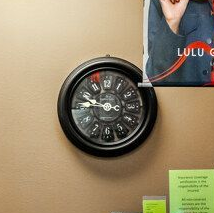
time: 9:45
